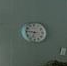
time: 6:46
